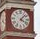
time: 4:07
